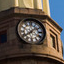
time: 1:39
